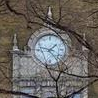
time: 1:46
